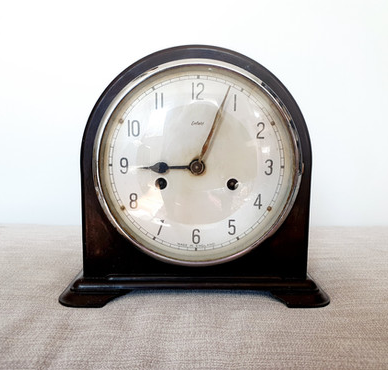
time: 9:03
